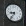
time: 8:36
